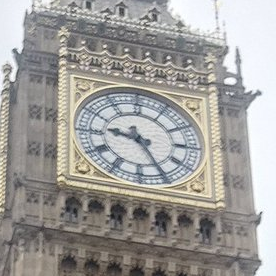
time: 9:25
